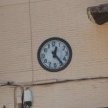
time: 12:23
